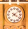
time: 4:08
